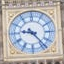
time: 9:23
